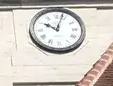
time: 10:03
